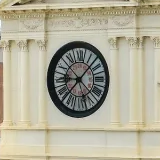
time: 9:07
